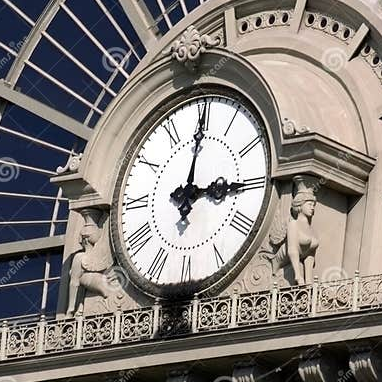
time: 3:00
